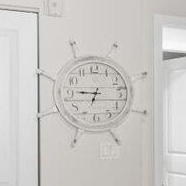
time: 6:45
